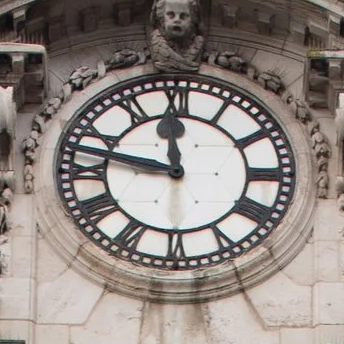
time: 11:46
